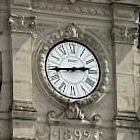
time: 2:44
